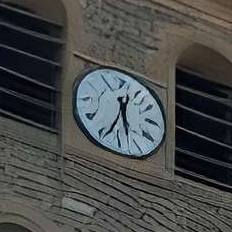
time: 5:33
